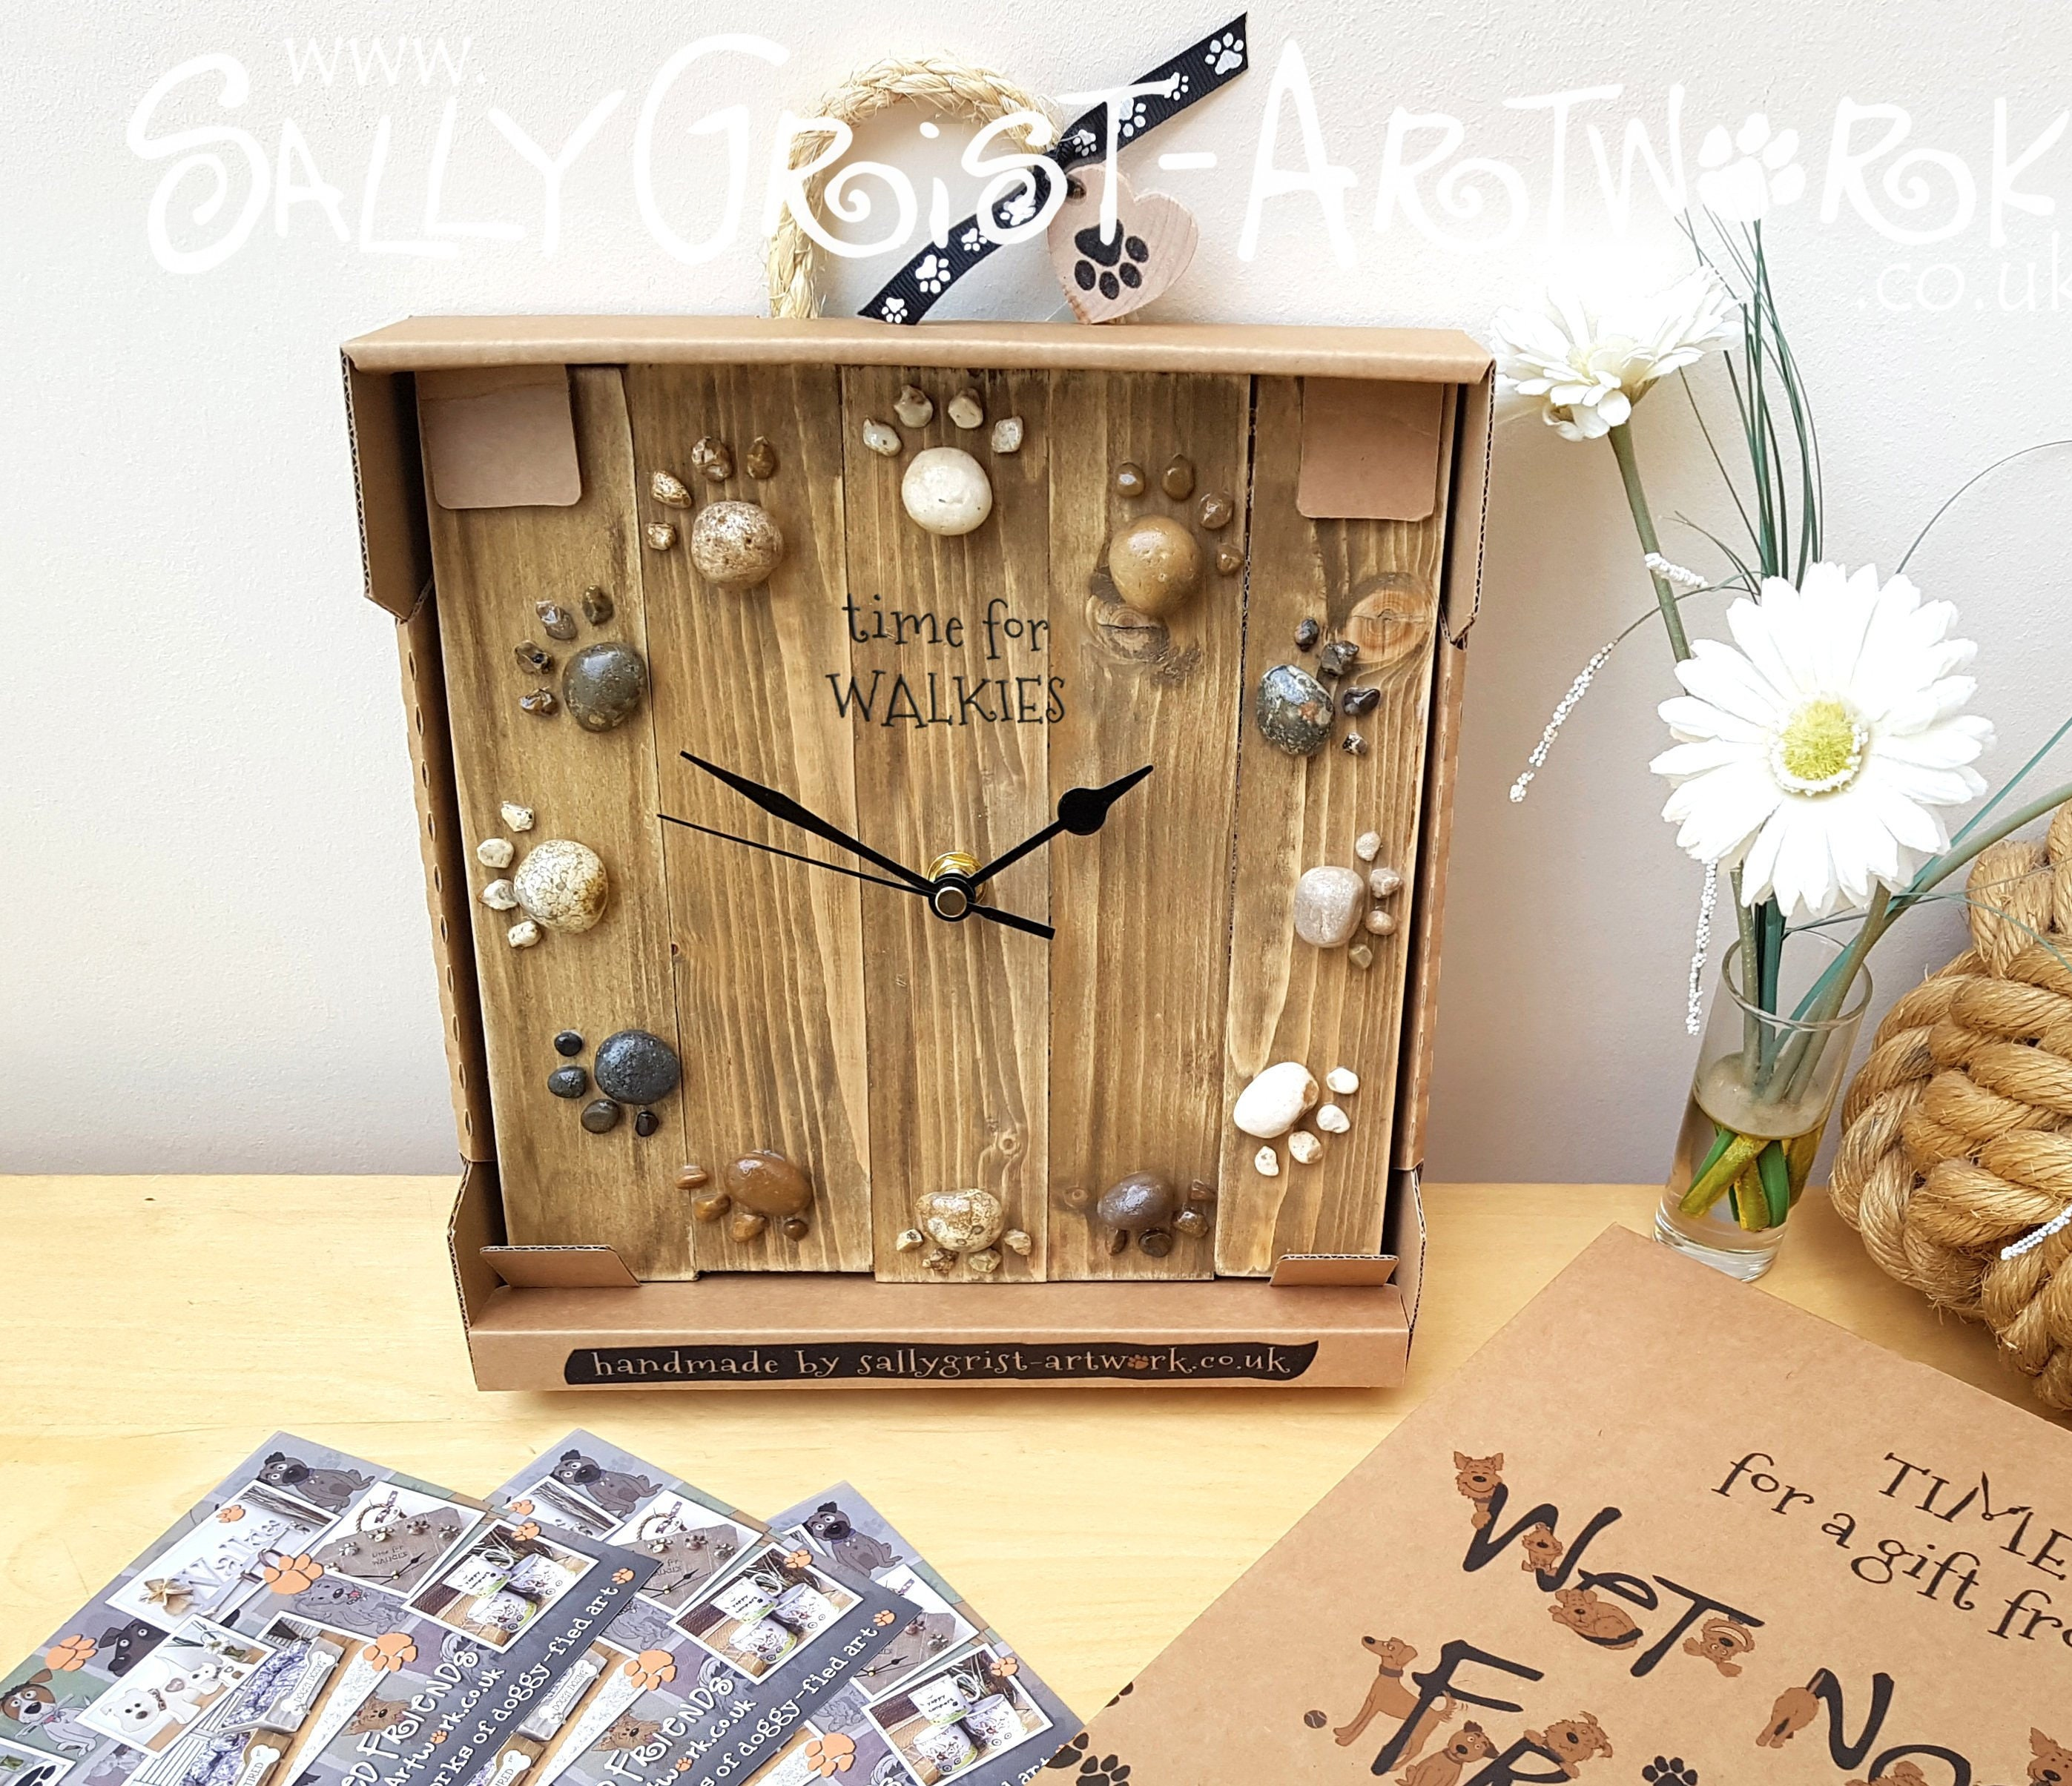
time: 1:49
